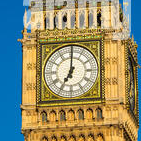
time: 7:00
